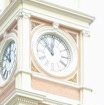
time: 11:52
